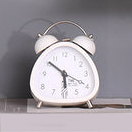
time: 5:51
